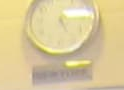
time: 5:14
